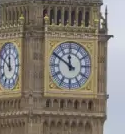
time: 11:50
